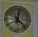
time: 12:22
